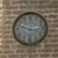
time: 2:48
